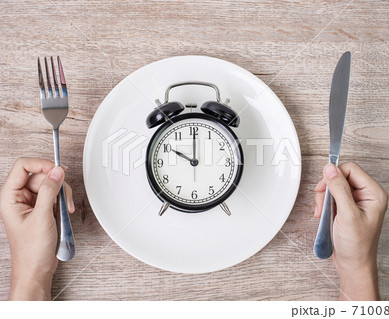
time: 10:00
